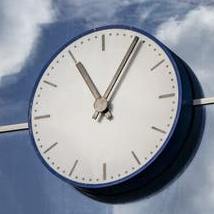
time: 11:05
